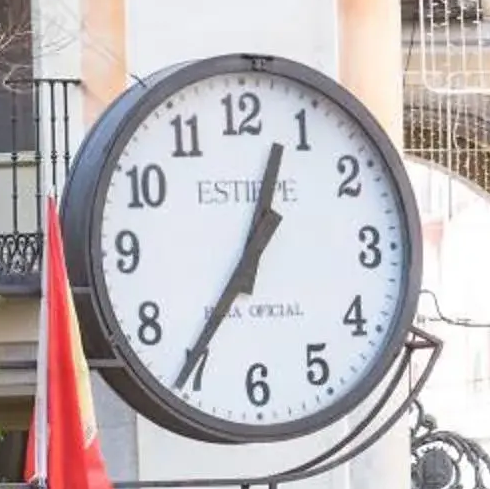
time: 12:35
